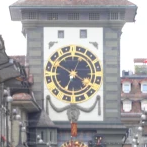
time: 6:50
